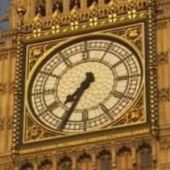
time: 7:34
